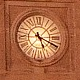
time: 5:18
